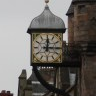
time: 12:14
